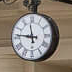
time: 11:46
